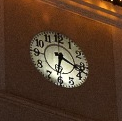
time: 6:18
